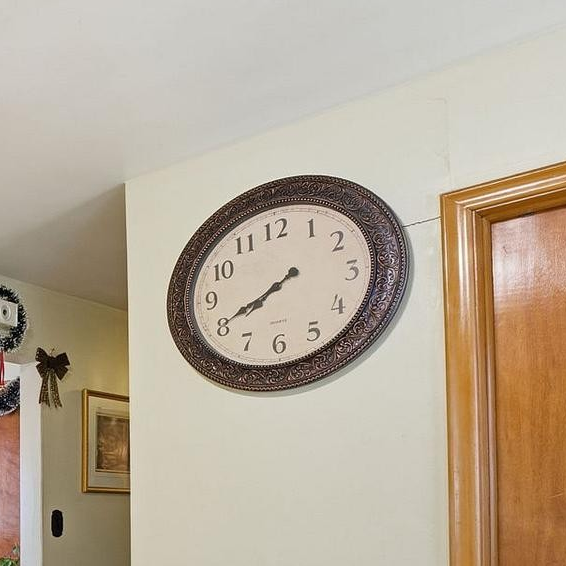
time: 7:40
